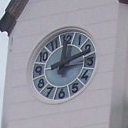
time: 12:12
